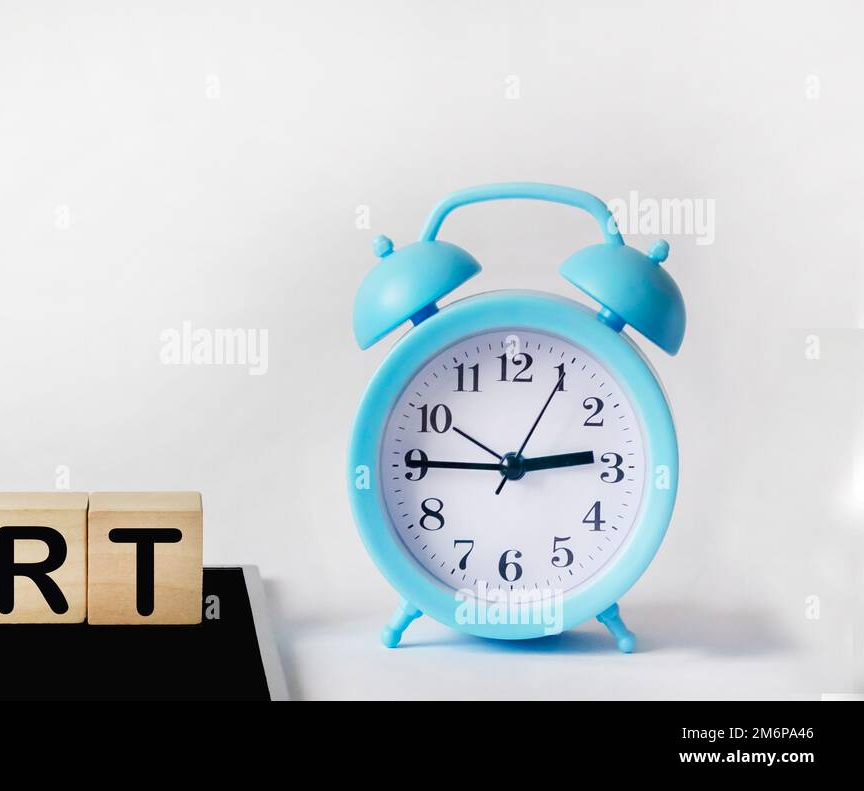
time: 2:45
